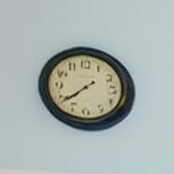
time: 7:38
